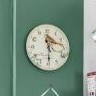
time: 11:29
